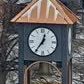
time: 12:36
